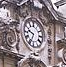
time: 9:34
